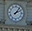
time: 2:06
